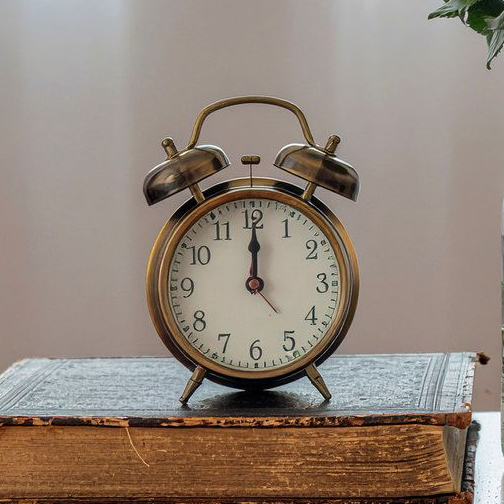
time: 12:00
